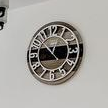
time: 12:52
